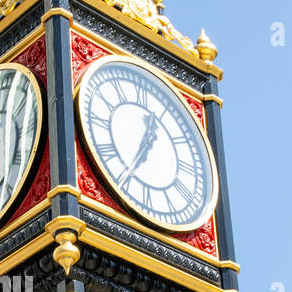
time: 12:34
